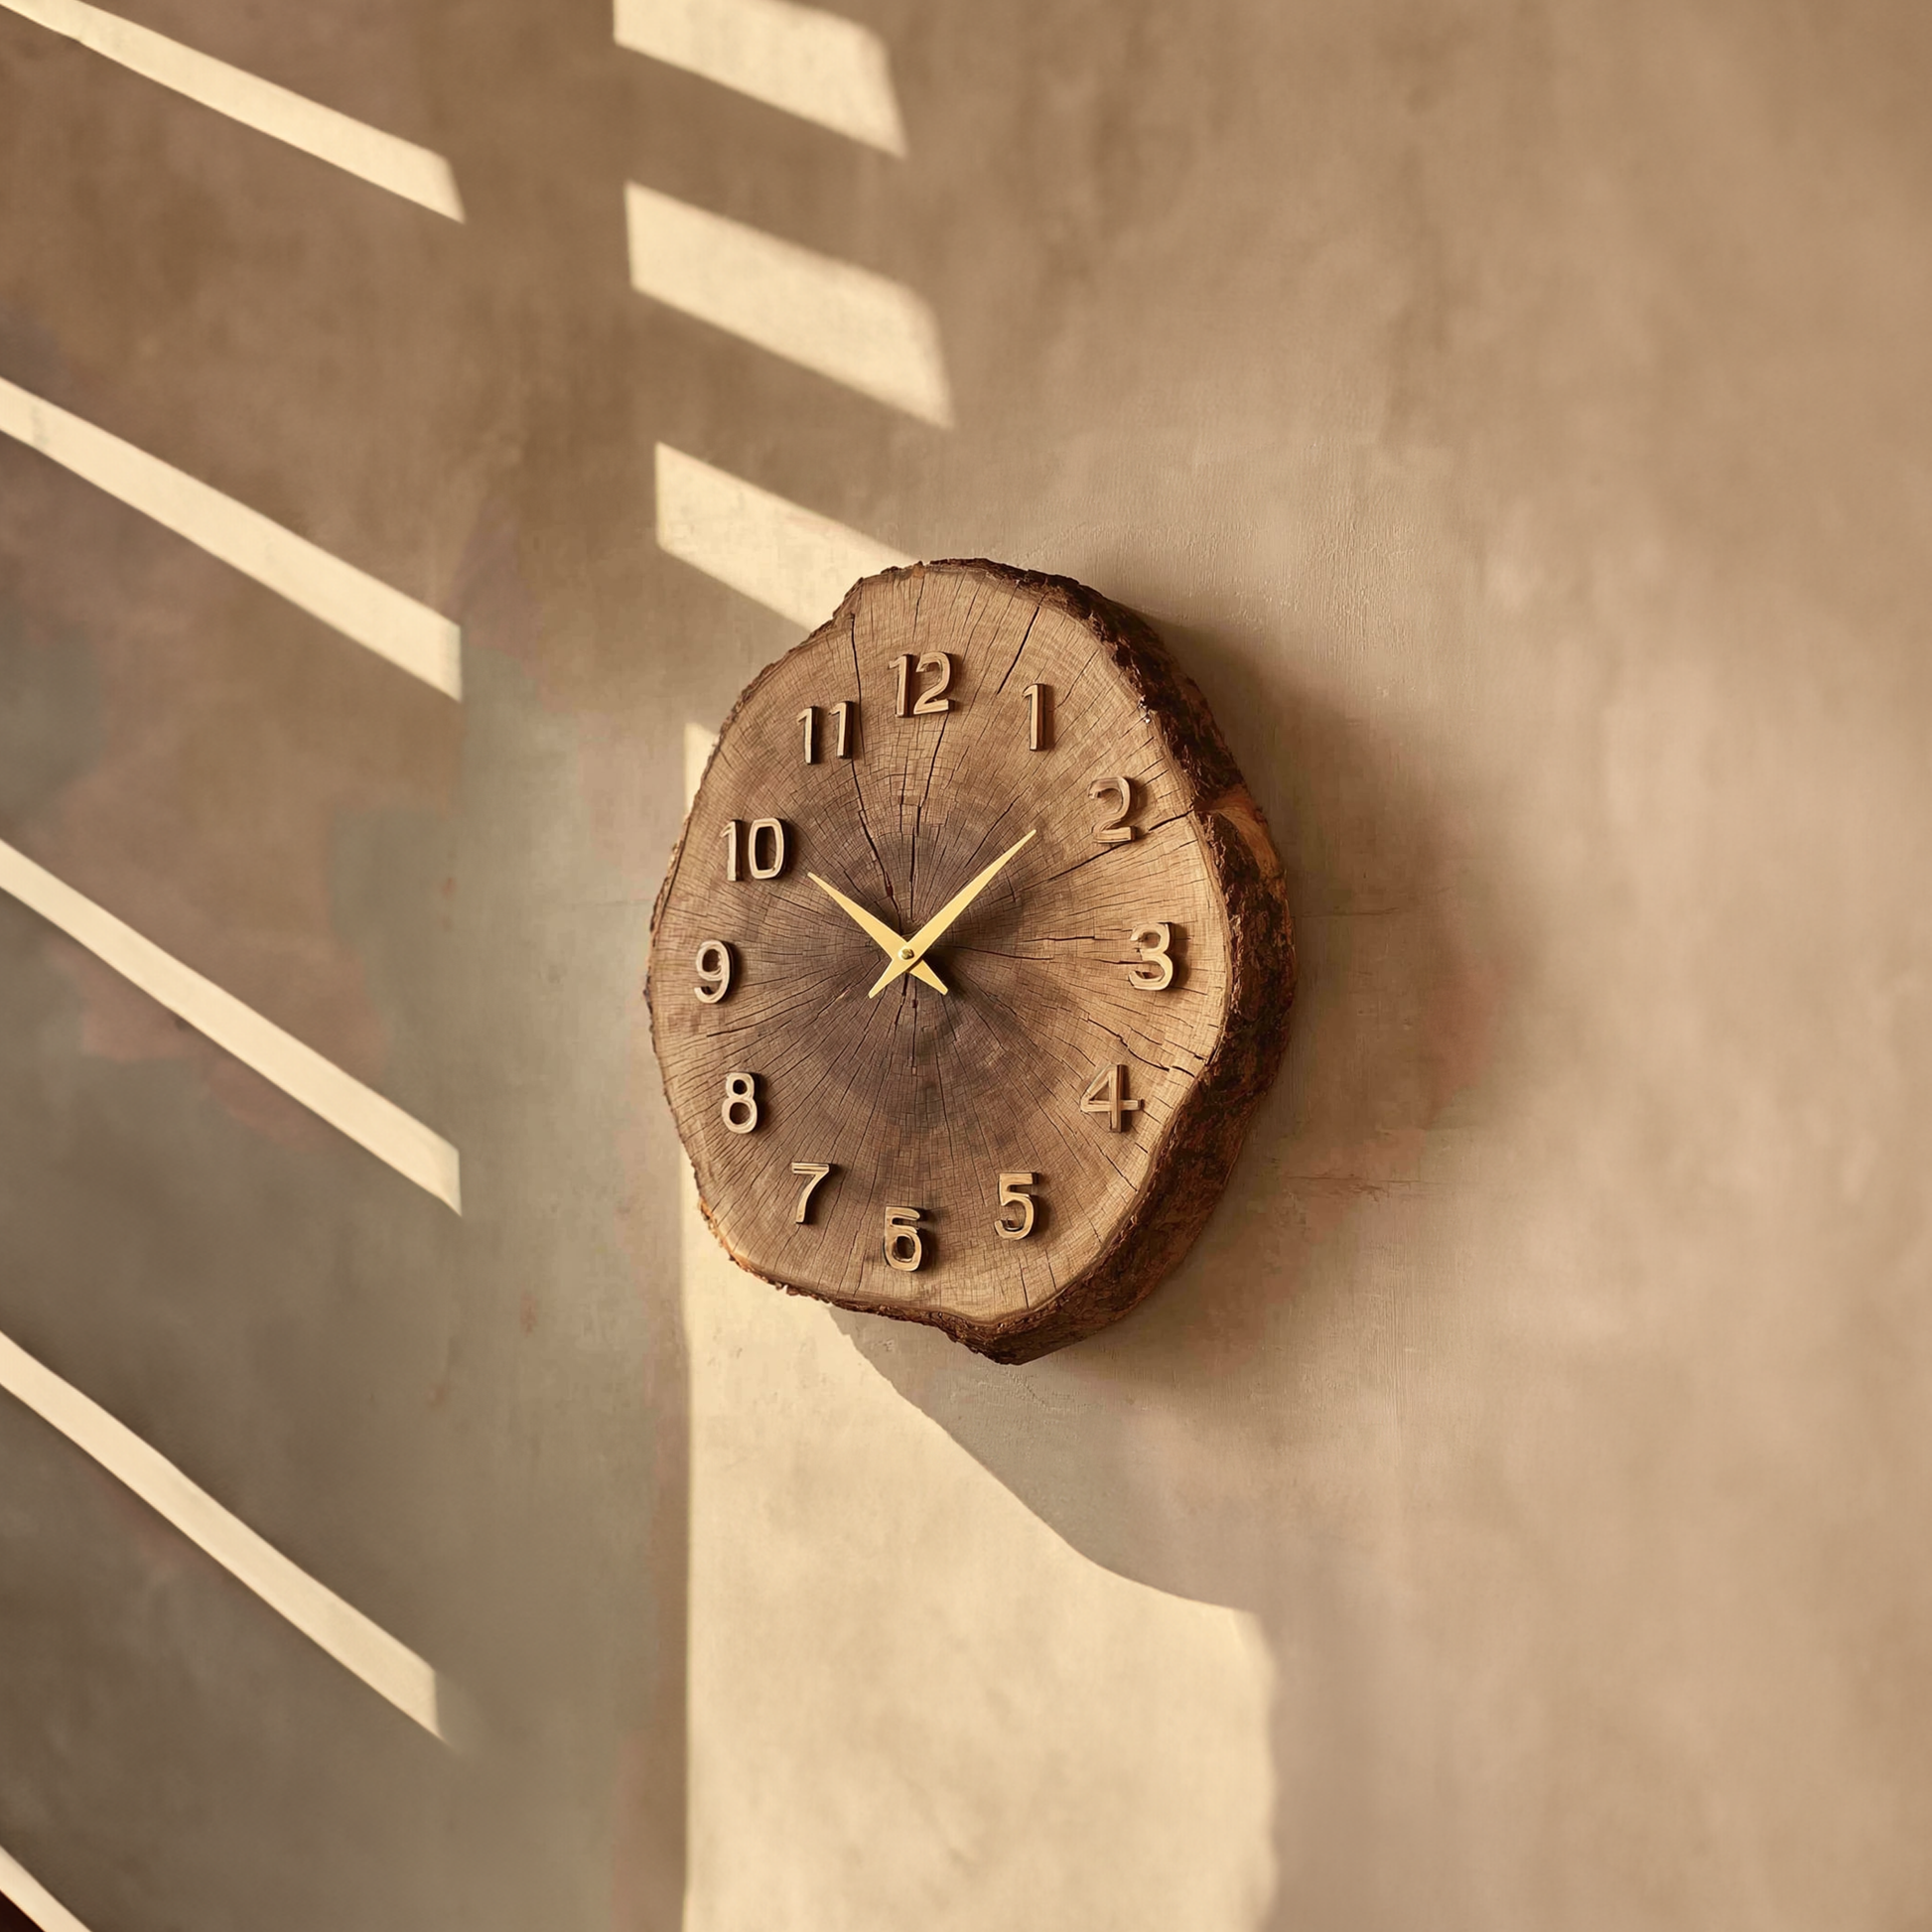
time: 10:08
